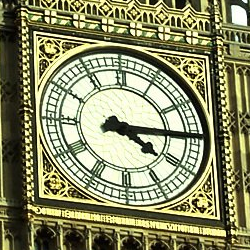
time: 4:14
